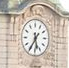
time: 5:35
